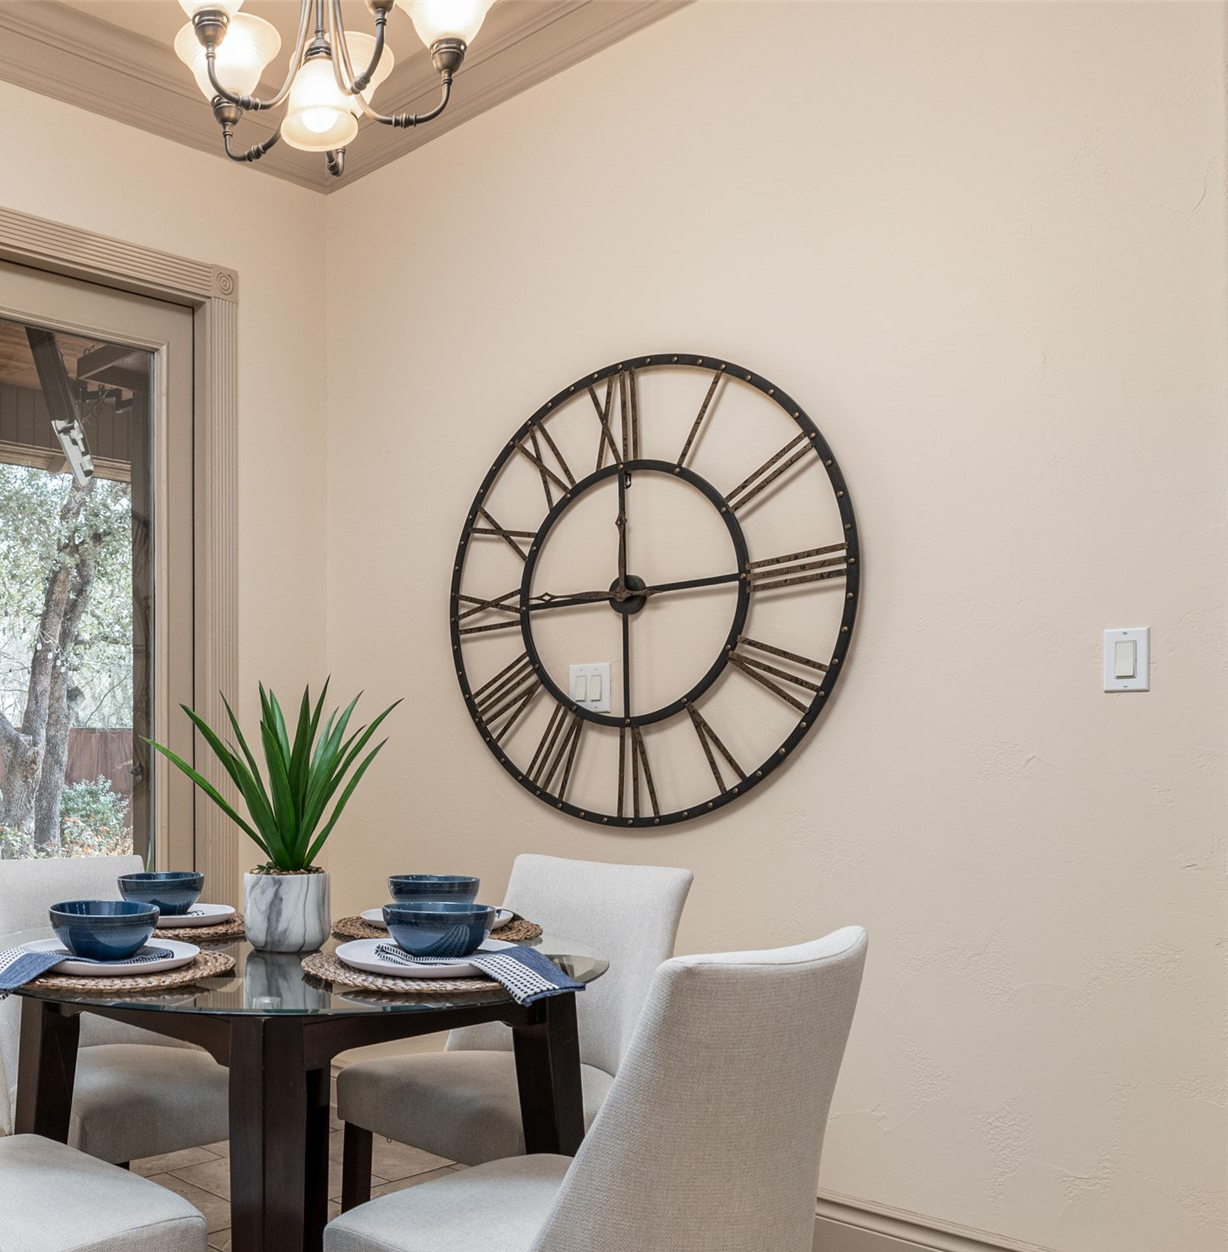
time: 9:00
